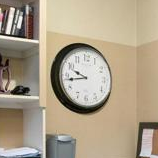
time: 9:43
